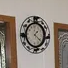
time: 1:21
